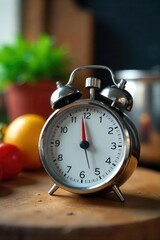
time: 3:58
